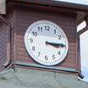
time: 3:14
